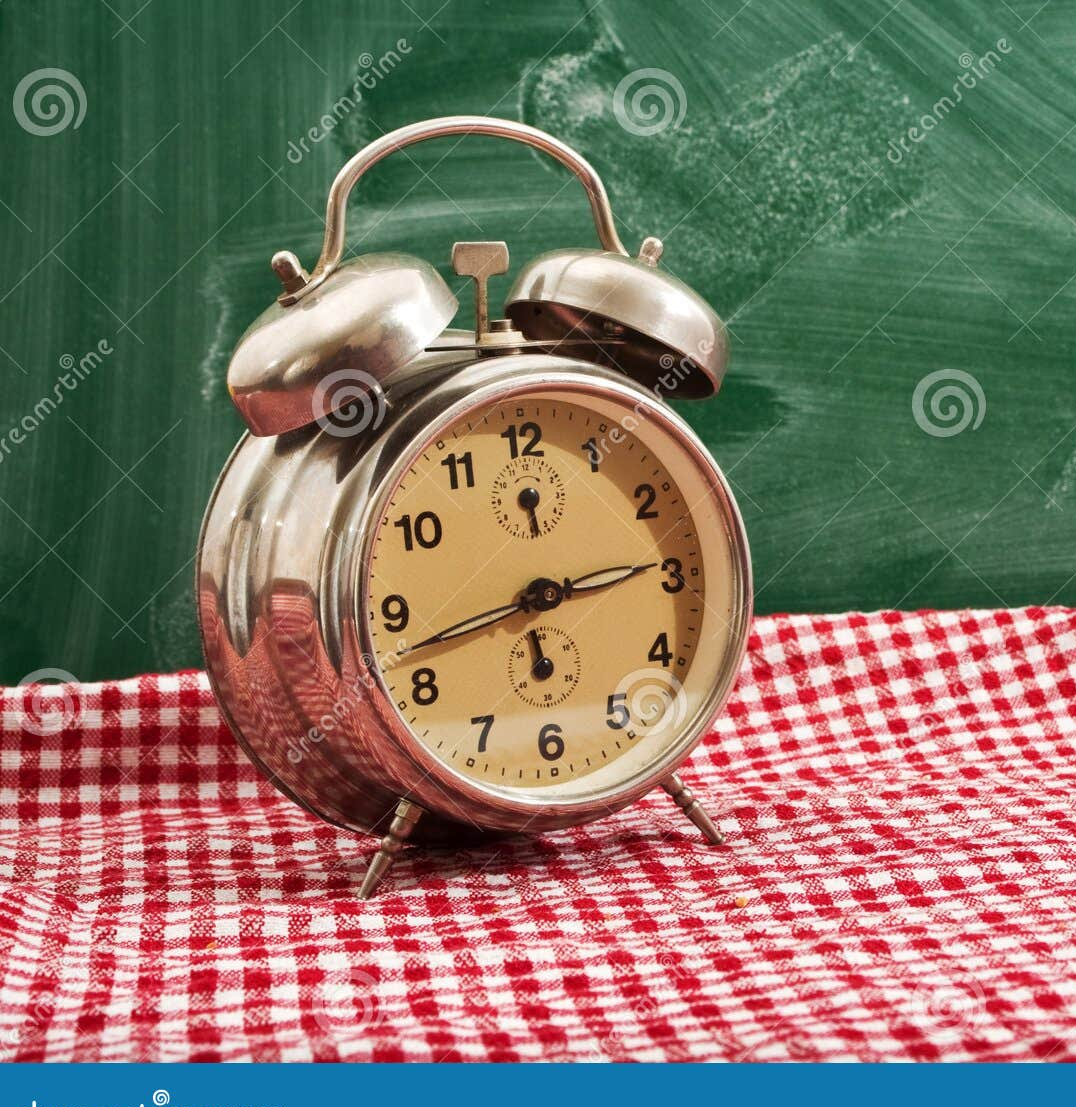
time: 2:42
